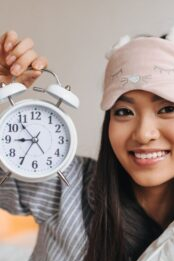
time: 8:53
